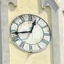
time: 12:43
